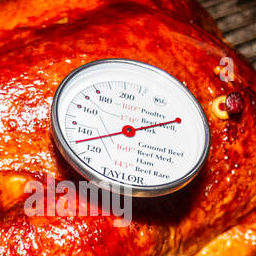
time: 2:42
